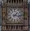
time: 1:16
